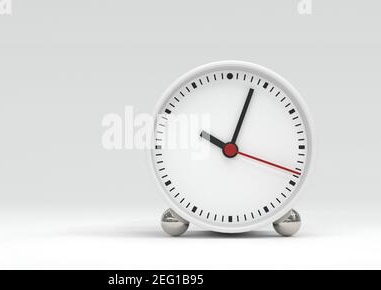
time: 10:03
